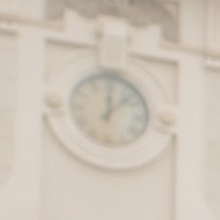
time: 12:07
